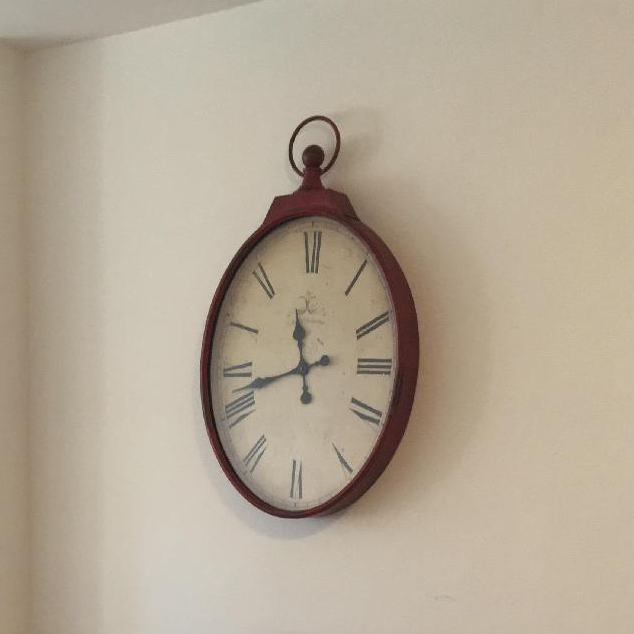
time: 11:42
